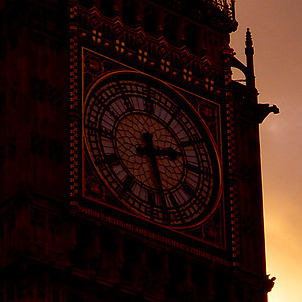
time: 2:28
